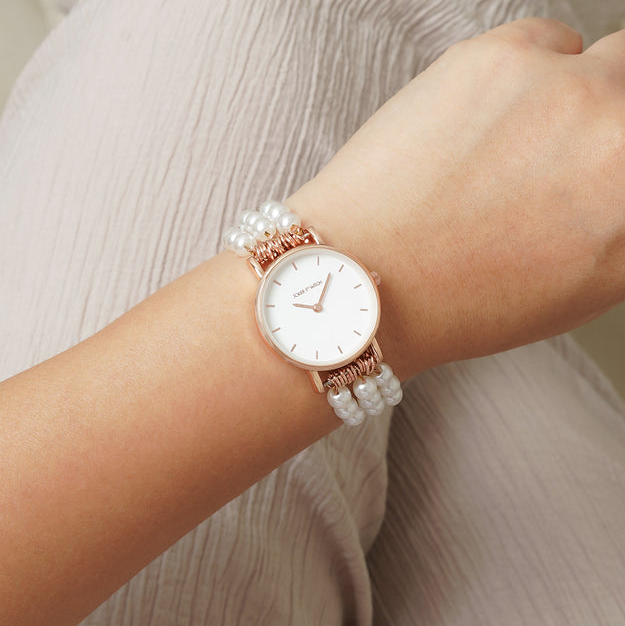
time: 9:03
